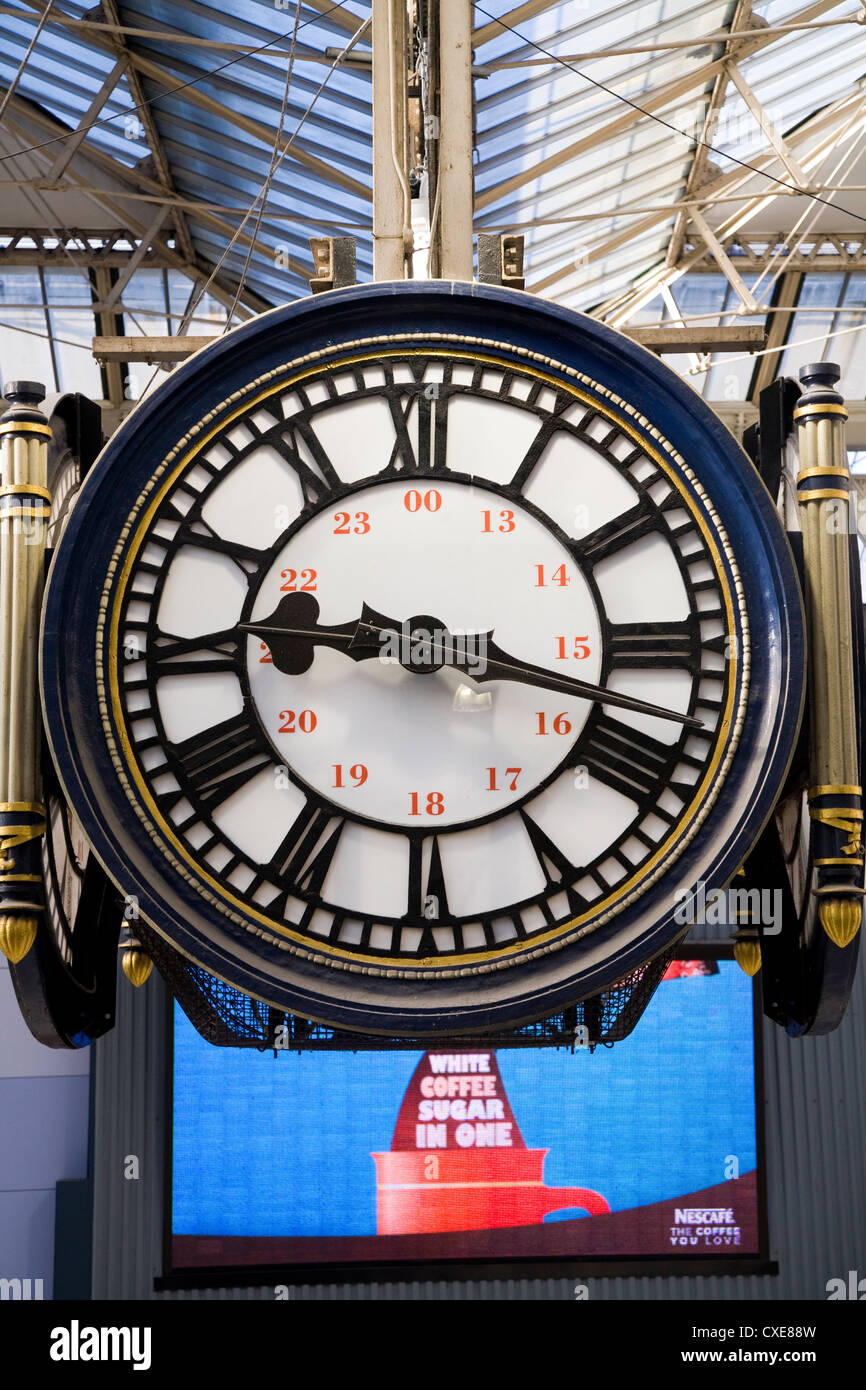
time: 9:17
